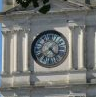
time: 4:40
